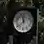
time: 11:38
